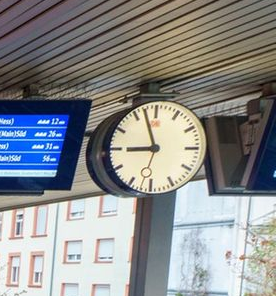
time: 8:57
